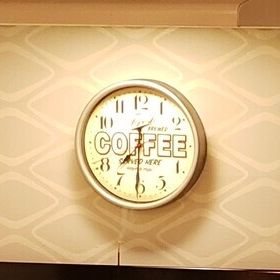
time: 7:30
